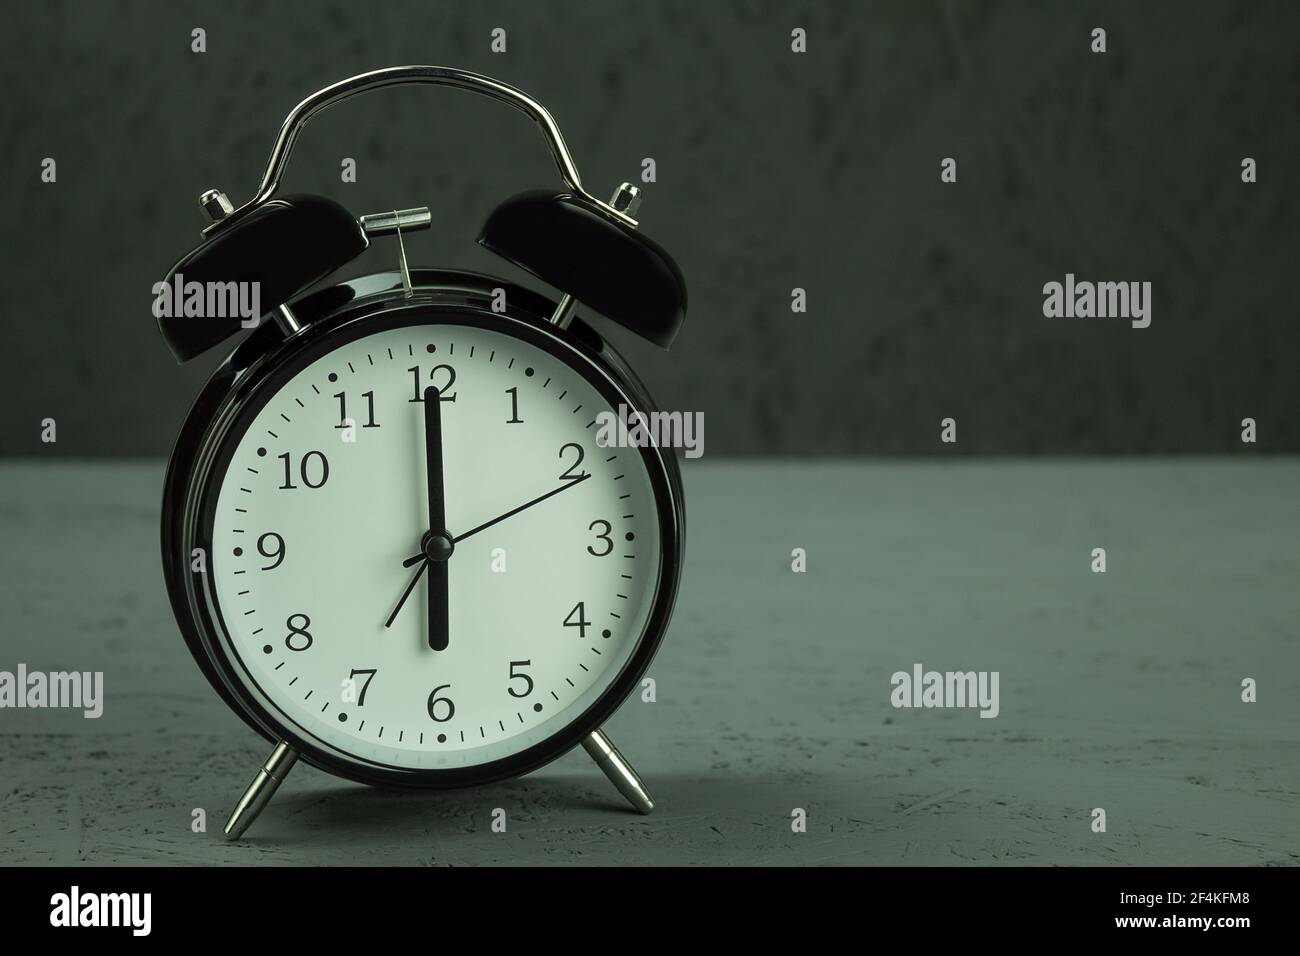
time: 6:00
